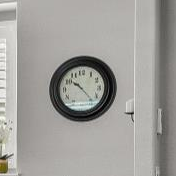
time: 10:23
